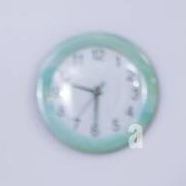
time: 9:30
